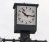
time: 10:15
